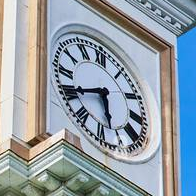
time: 5:40
